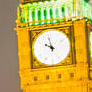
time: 9:58
